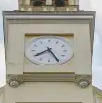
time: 7:25
